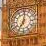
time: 7:01
